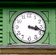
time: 3:18
